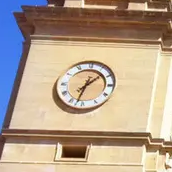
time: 1:32
